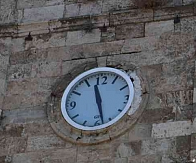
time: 11:27
